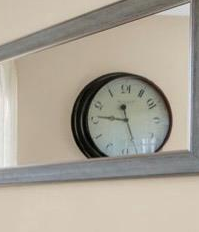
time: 11:46
